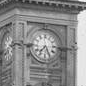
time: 7:25
